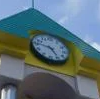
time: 4:46
